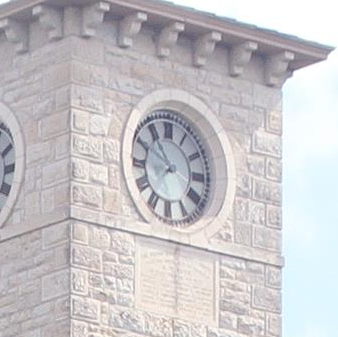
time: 10:49
